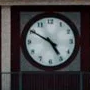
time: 4:50
